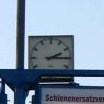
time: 2:15
